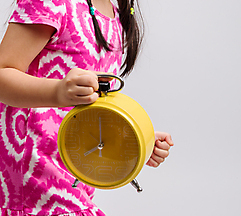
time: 8:01
